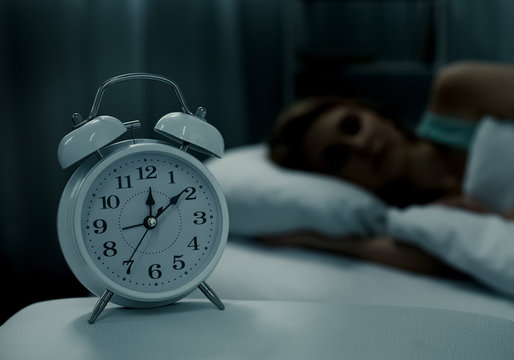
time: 12:09
